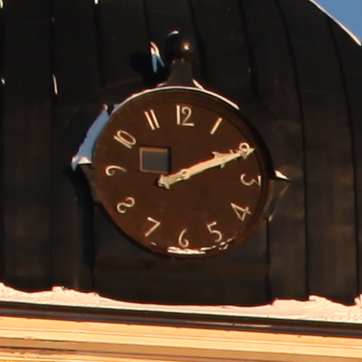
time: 2:11
